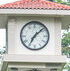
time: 7:07
